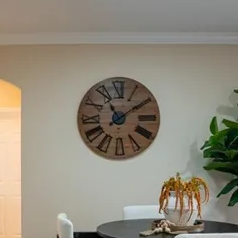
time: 11:09
